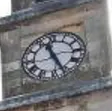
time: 11:25
